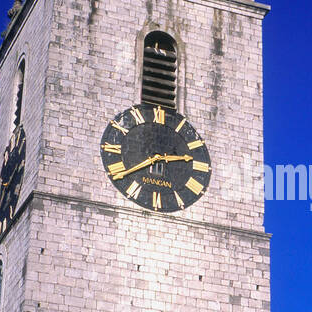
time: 2:39
